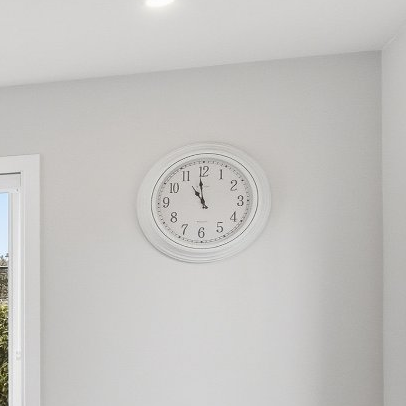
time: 10:59
